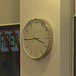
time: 3:44
